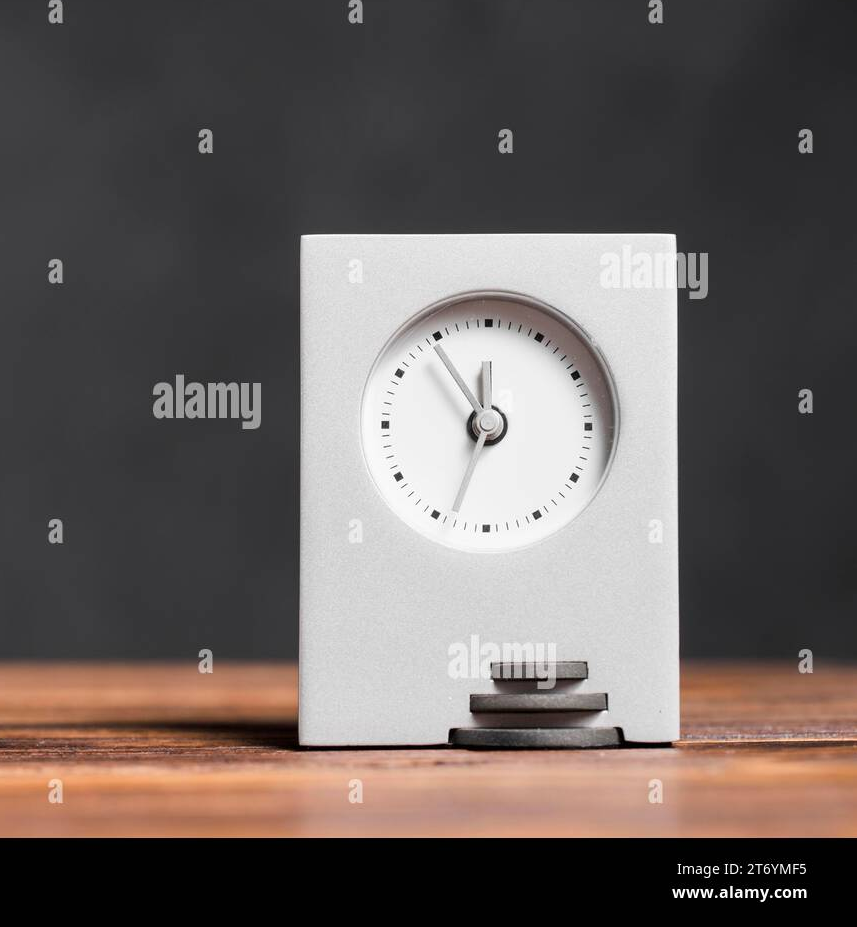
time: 12:33
